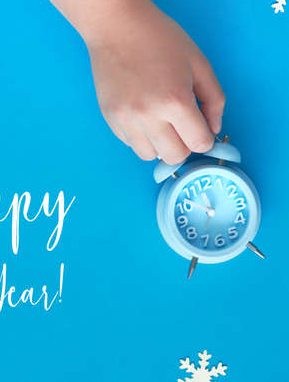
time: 11:51
